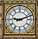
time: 9:11
